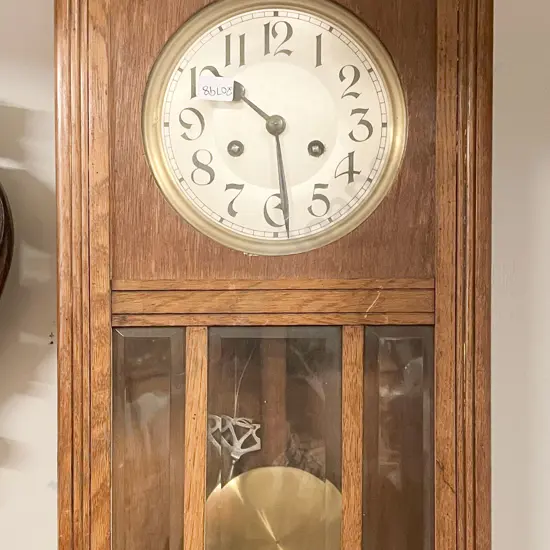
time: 10:28
